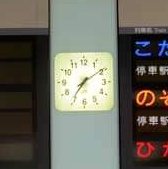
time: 7:09
